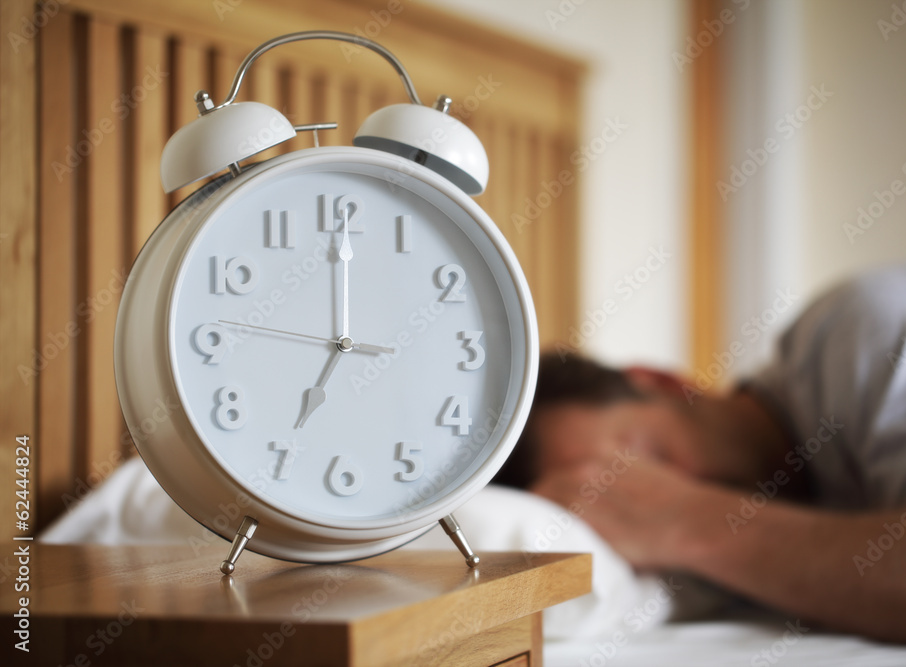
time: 7:00
